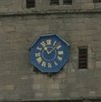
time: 11:07
